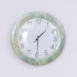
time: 1:29
